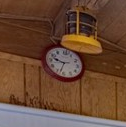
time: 9:32
